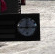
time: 12:14
